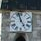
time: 4:57
